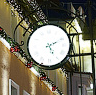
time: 5:11
